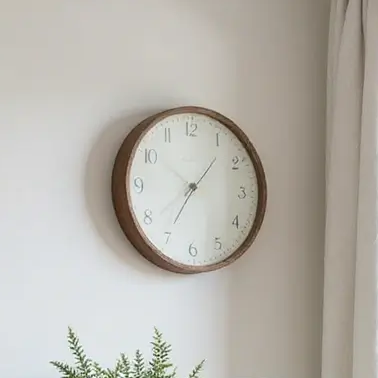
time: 1:35
